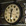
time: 12:31
